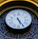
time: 5:24
